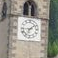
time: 6:43
